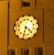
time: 6:20
